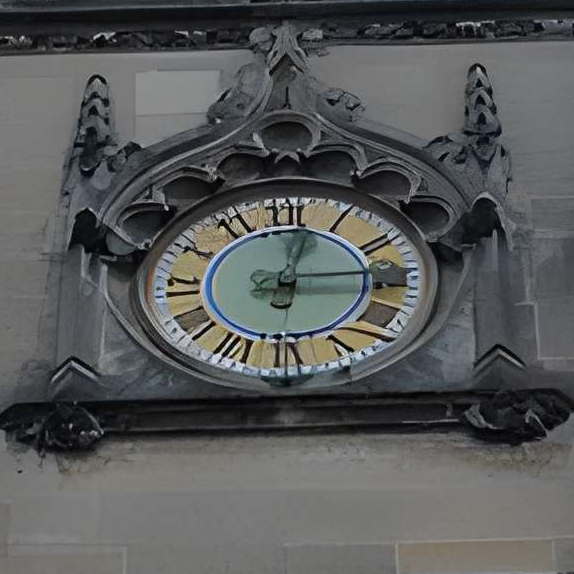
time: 12:14
